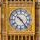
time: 10:23
